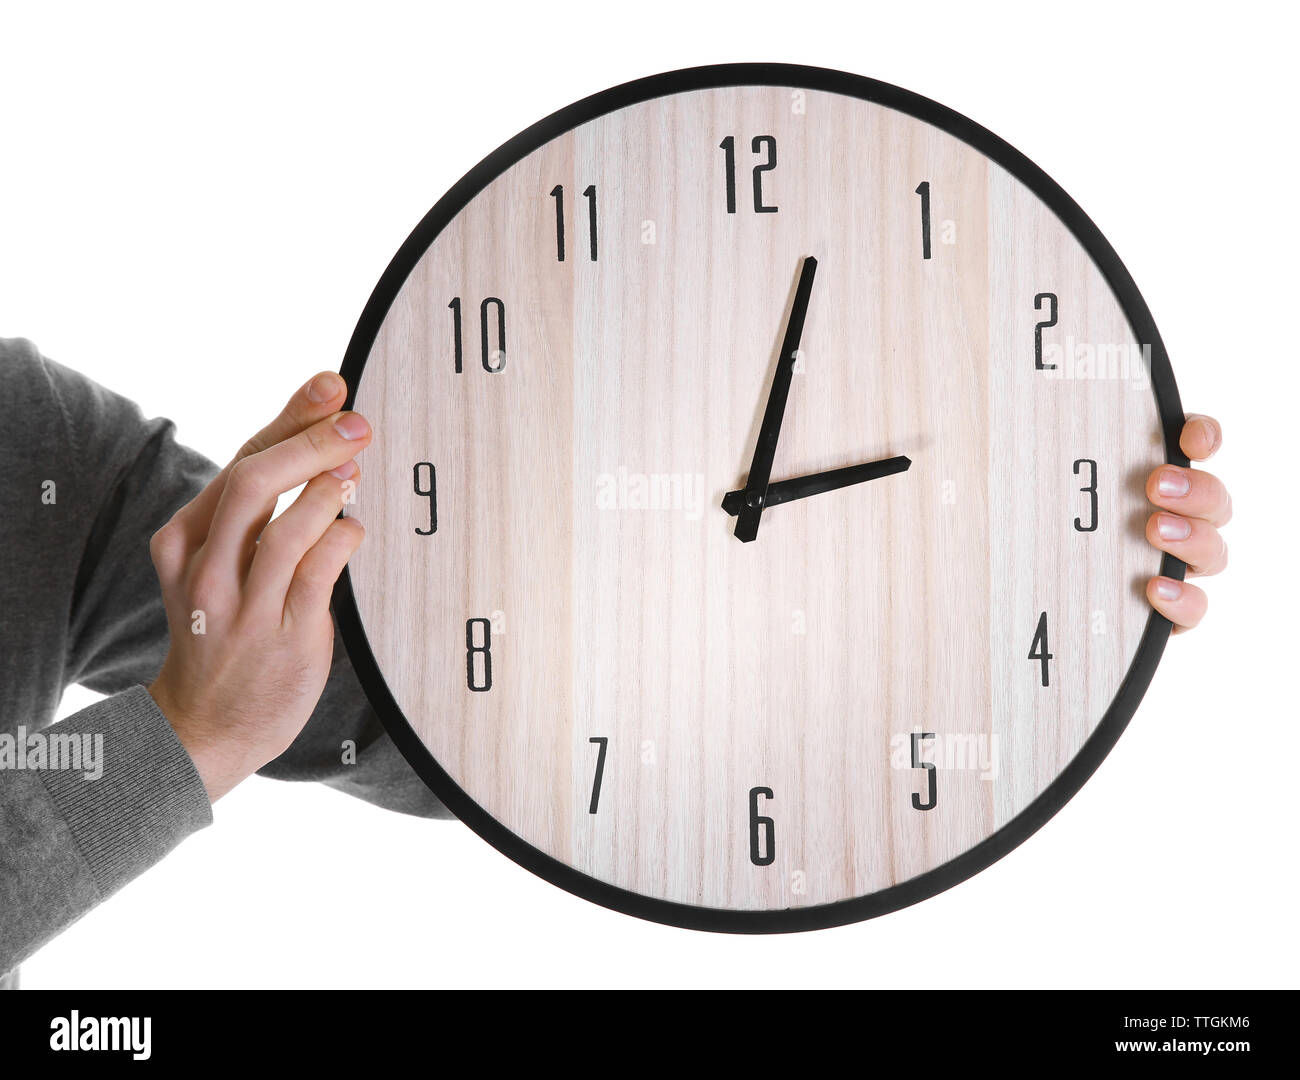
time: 3:02
